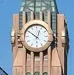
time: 12:51
